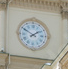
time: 1:50
